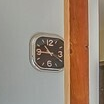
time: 10:45
